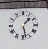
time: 1:28
